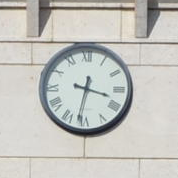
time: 3:31
